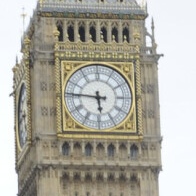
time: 5:45
